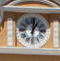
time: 1:01
